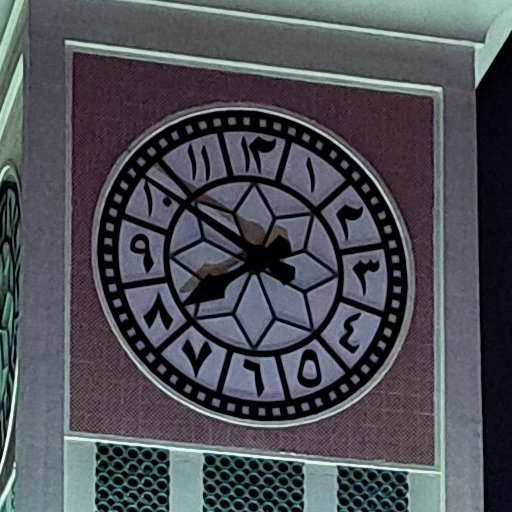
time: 7:50
